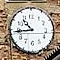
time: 10:44
